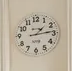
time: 1:13
